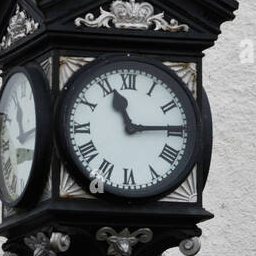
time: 11:14
